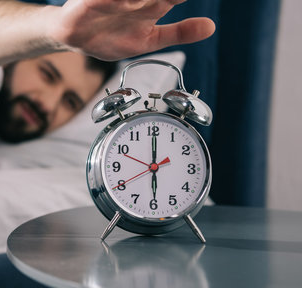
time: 5:59
